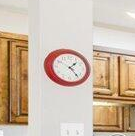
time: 1:23
